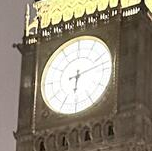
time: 6:12
